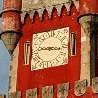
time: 9:17
